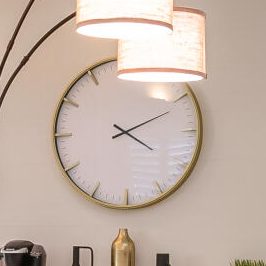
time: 4:10
